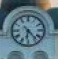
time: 6:23
